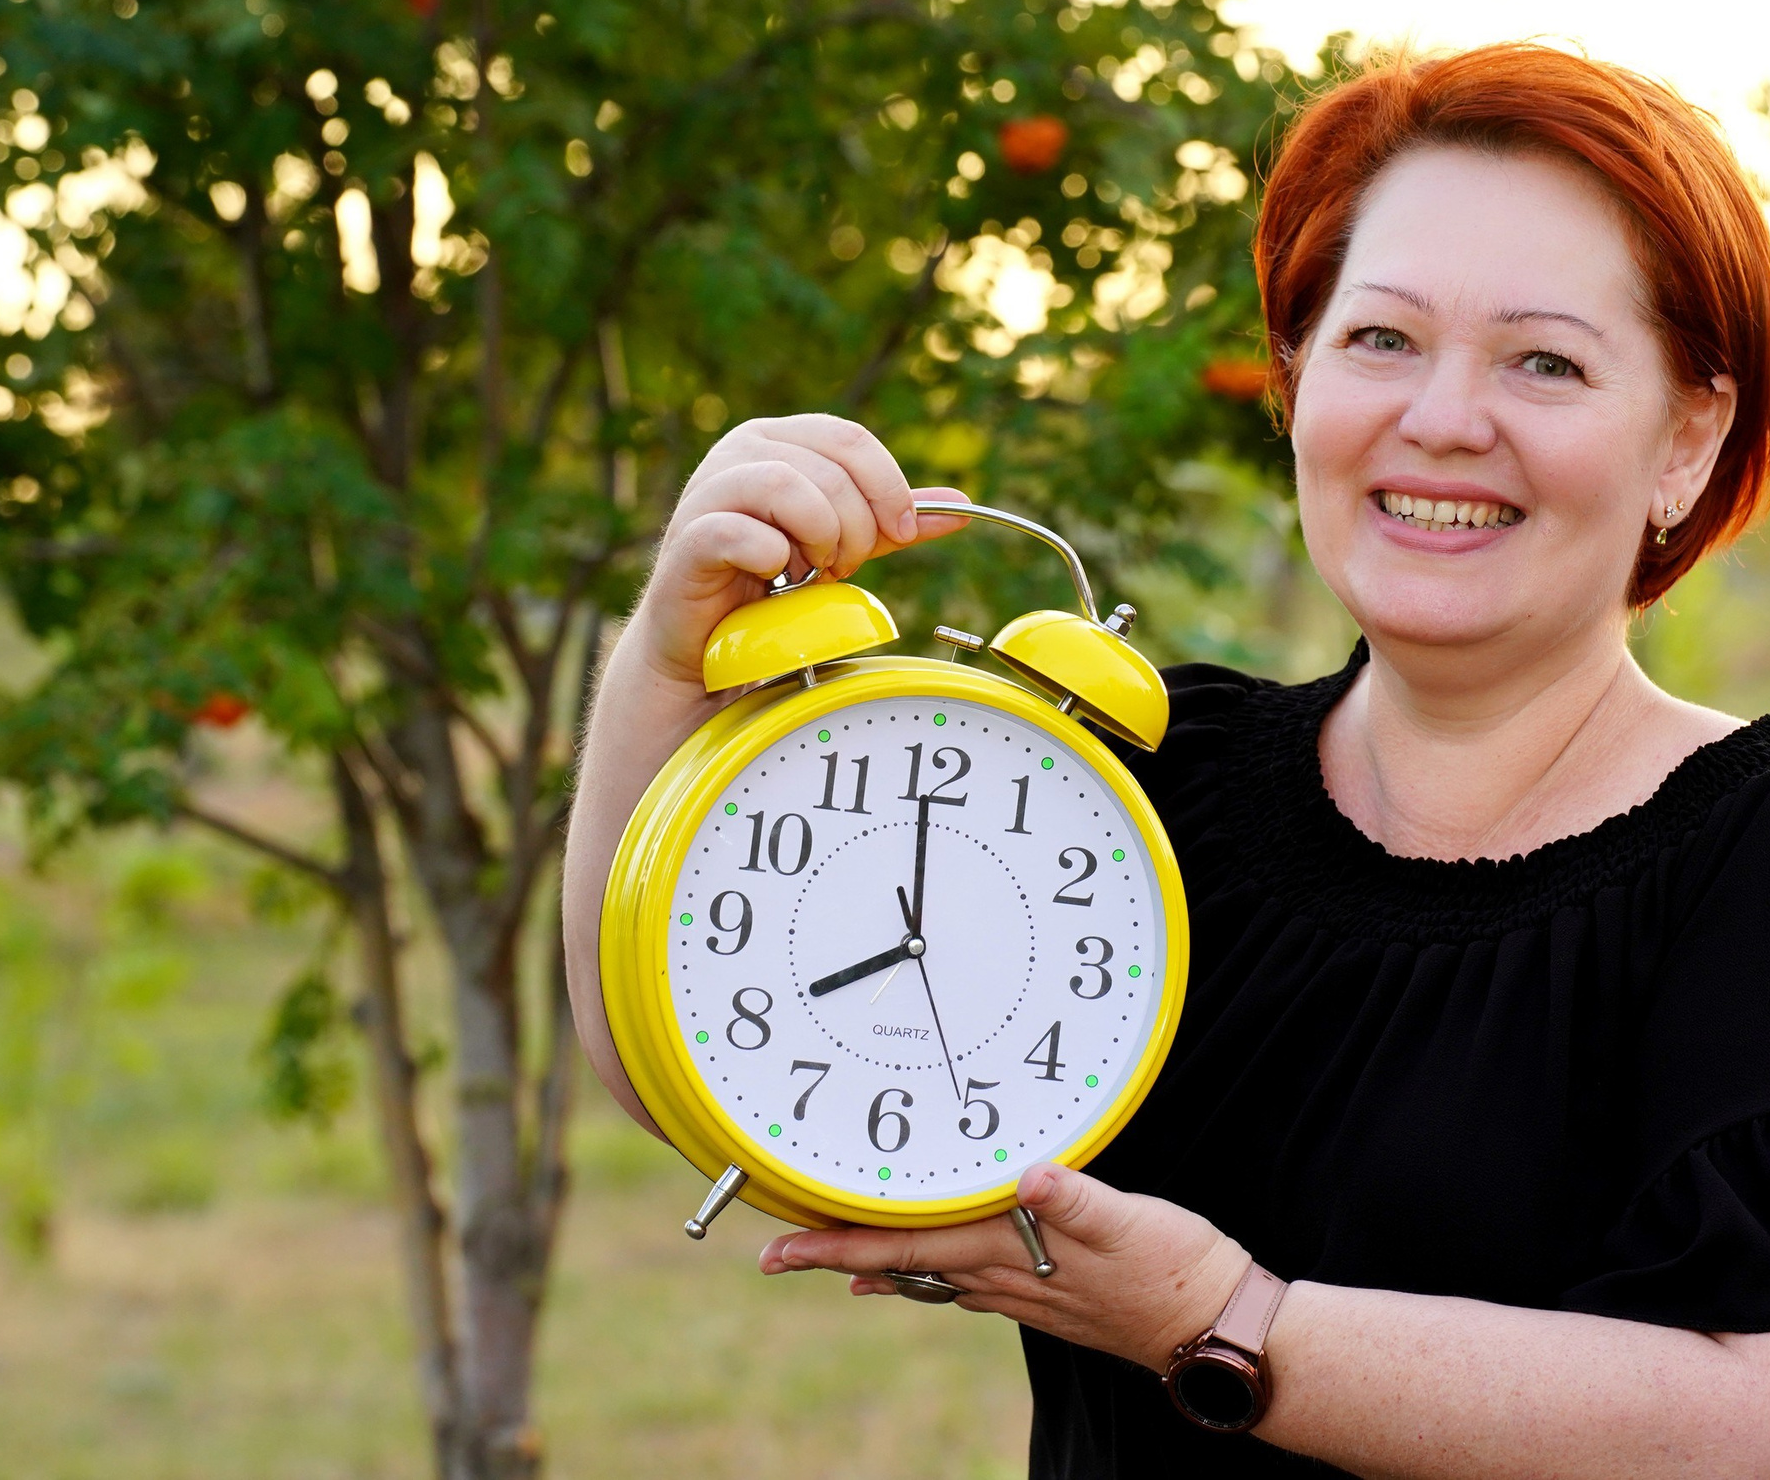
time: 7:59
